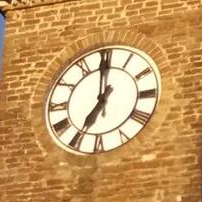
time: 6:59
